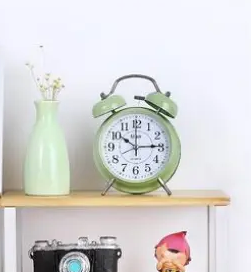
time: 10:14
